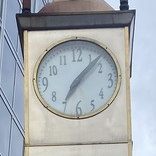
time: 7:07
